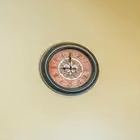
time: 8:59
